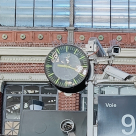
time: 9:18
